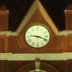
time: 9:18
